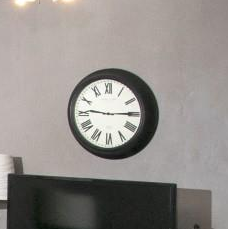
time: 9:14
